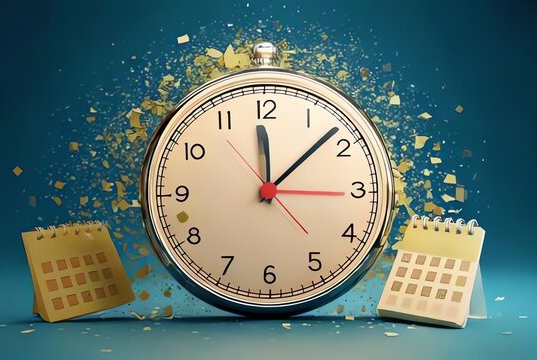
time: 12:07
